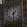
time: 1:30
